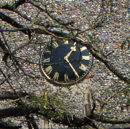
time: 1:24
